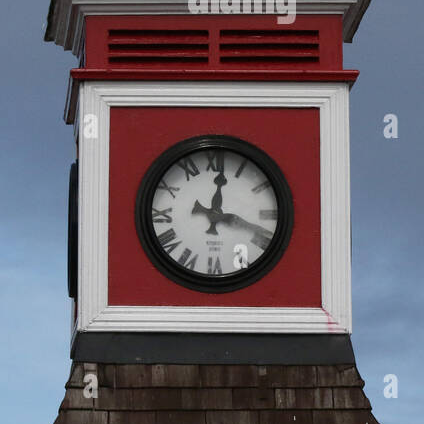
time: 12:18
